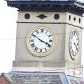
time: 3:50
